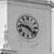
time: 9:22
